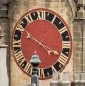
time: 3:50
